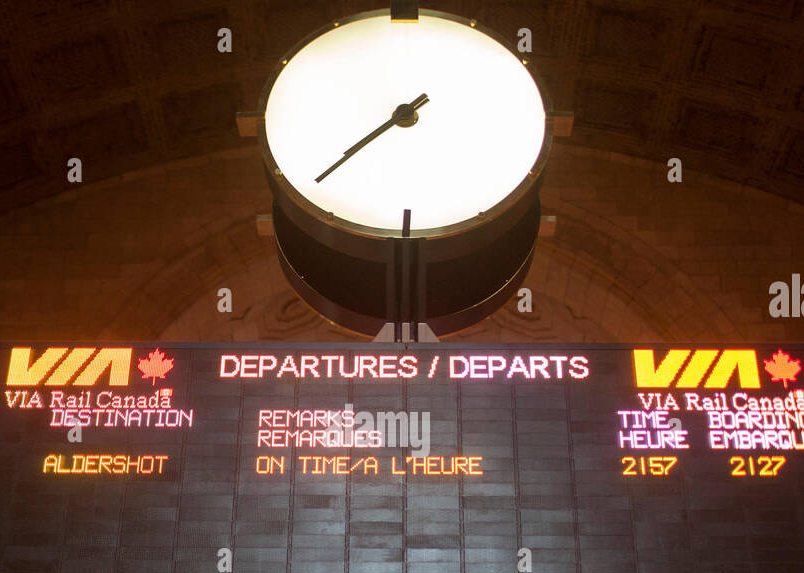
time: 7:37
